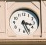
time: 3:26
